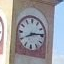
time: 8:13
